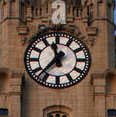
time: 11:37
